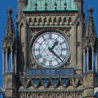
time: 1:22
